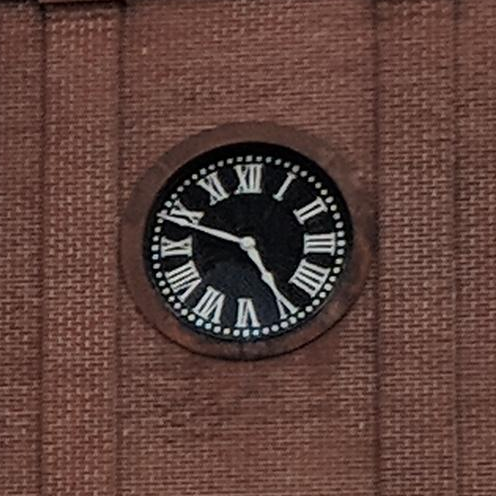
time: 4:48
